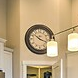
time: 10:18
